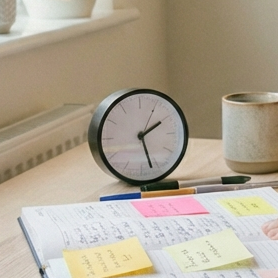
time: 1:27
